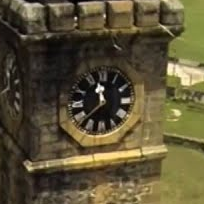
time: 11:37
